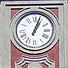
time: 1:03
